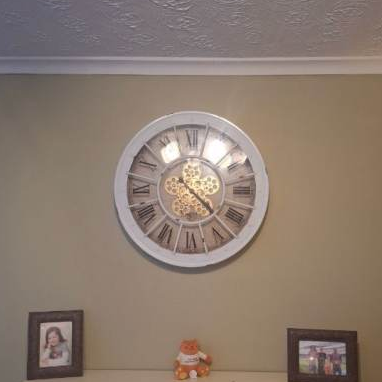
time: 4:22
